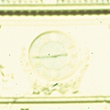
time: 2:44
